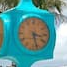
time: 3:27
